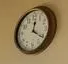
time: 12:20
